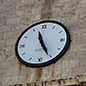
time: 11:25
